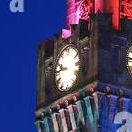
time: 9:45
